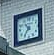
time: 10:36
